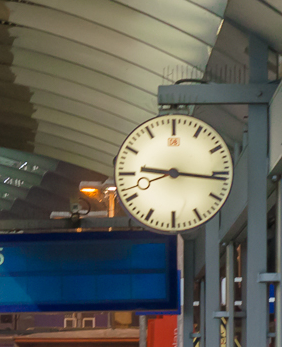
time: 9:16
